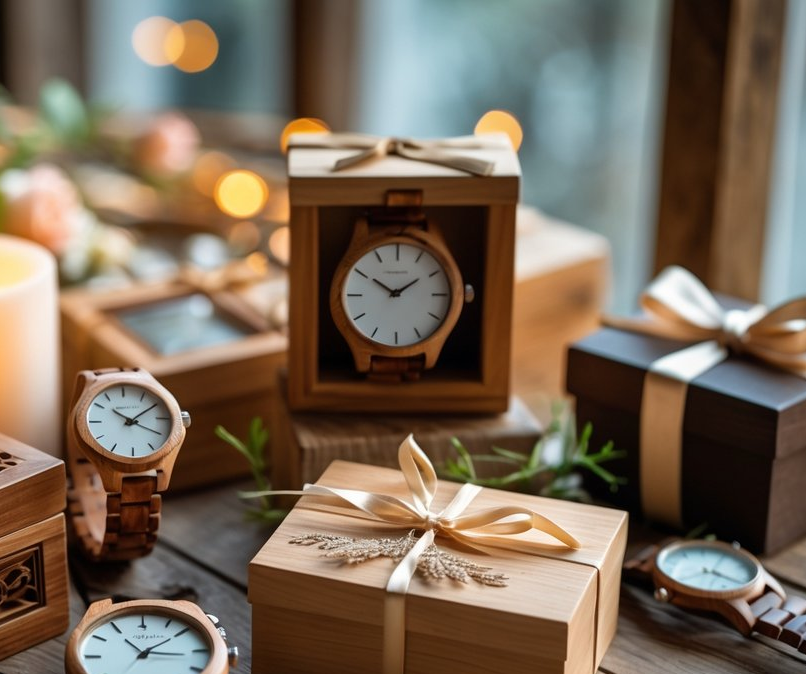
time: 1:50
